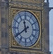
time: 11:39
